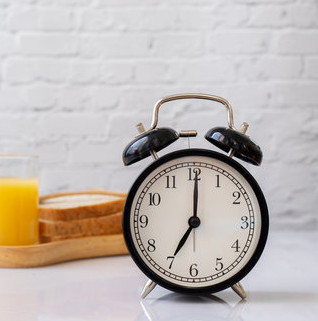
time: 7:00
